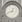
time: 12:41
